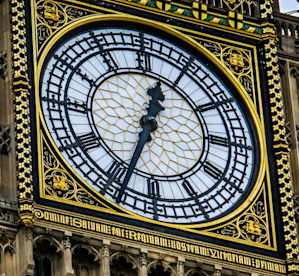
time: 12:33
